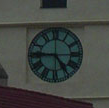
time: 4:45
